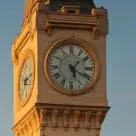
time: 5:19
